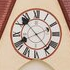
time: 8:11
